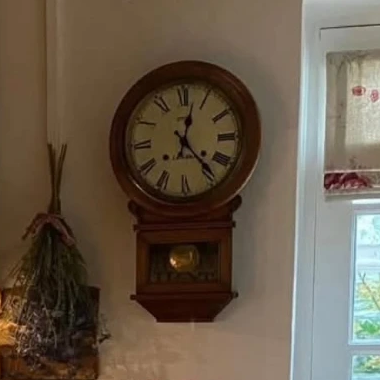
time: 12:23
